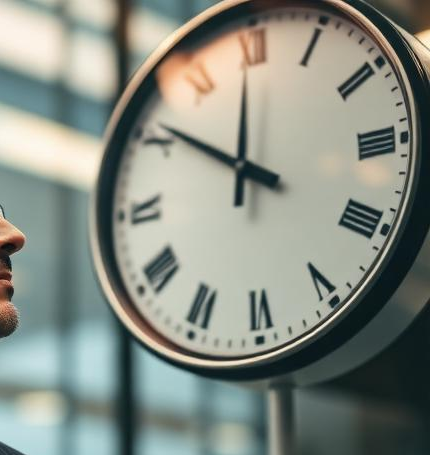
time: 11:50
